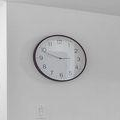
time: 2:48
